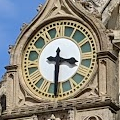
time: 3:30
